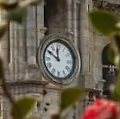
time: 11:50
